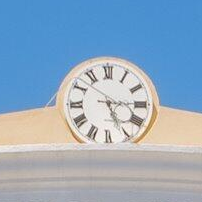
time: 5:15
